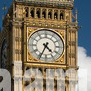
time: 4:34
